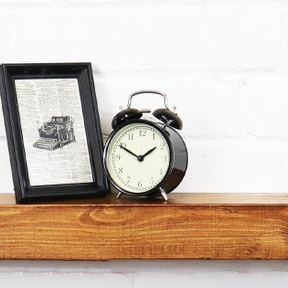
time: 1:49
